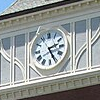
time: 2:25
